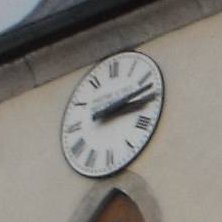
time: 3:12
